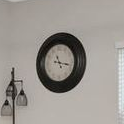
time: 11:17
